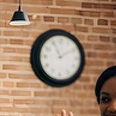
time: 11:10
